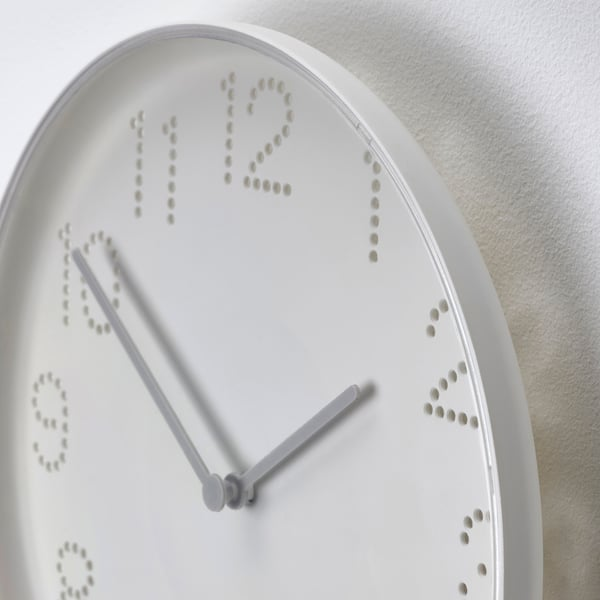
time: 1:51
